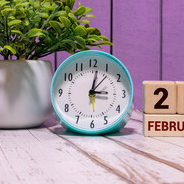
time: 3:01
